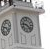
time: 9:22
